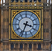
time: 3:33
